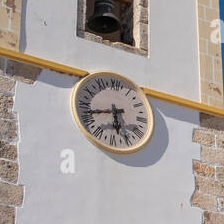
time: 5:42
